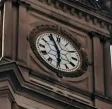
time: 5:55
